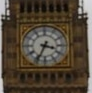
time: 3:34
